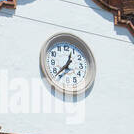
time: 12:37
